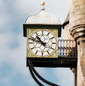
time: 10:48
